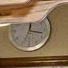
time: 3:34
